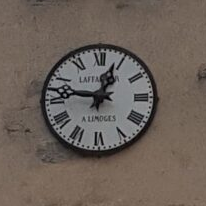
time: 12:46
